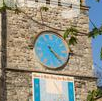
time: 4:22
